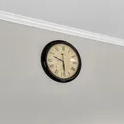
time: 5:48
